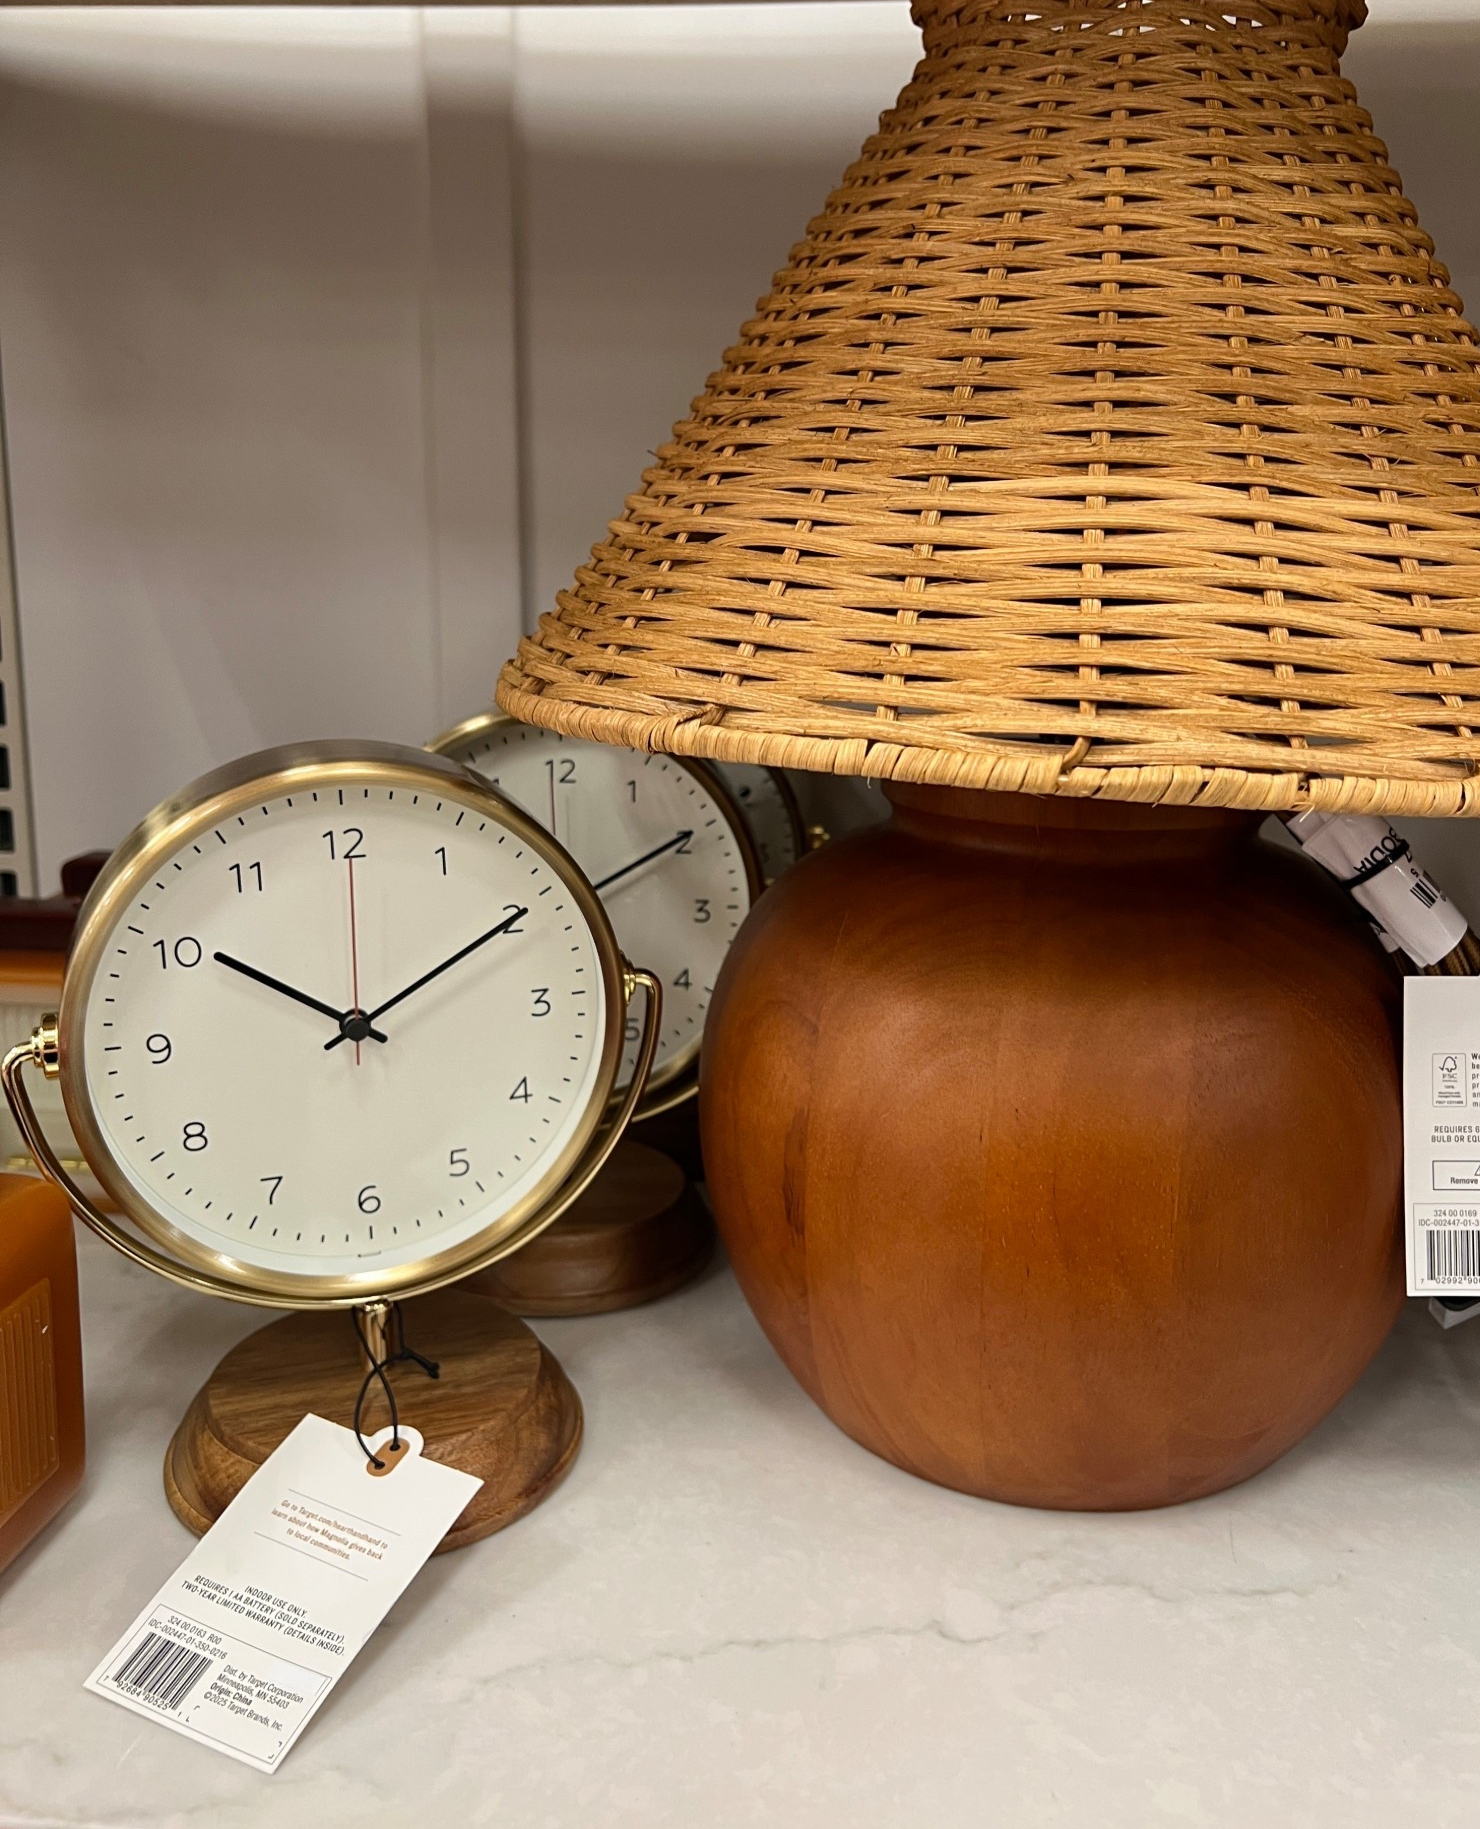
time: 10:09
